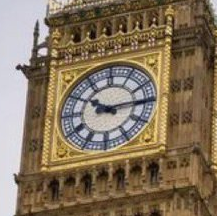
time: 10:14
